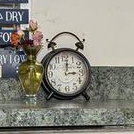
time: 3:01
